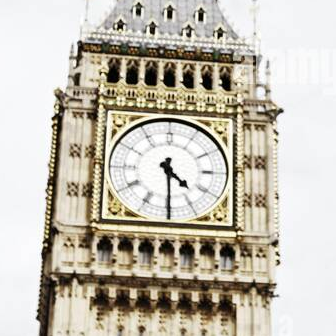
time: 4:29
